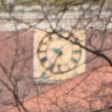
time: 9:34
